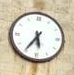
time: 5:35
